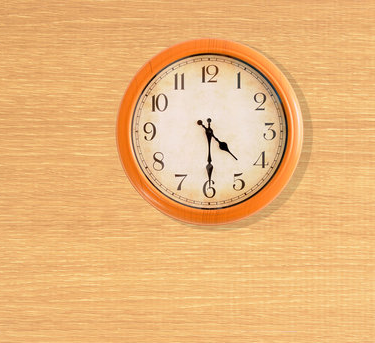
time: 4:29
